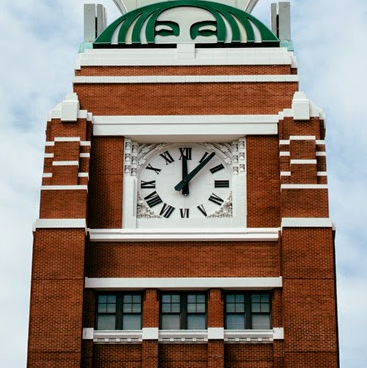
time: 12:06
